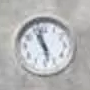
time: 11:28
